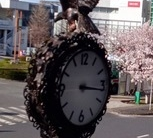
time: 3:16
